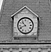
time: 10:41
